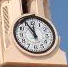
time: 11:55
